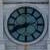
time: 8:12
